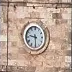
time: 9:29
